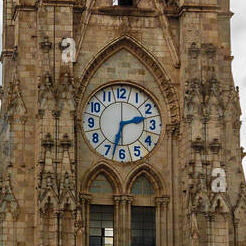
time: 2:33
